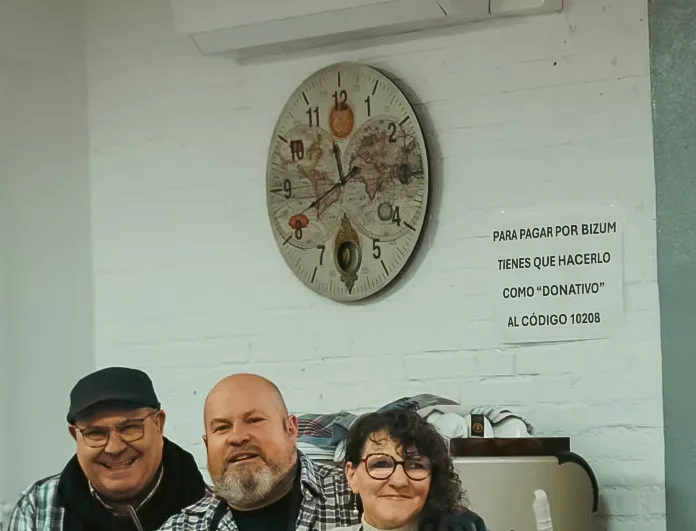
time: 11:41
